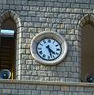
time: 4:27
